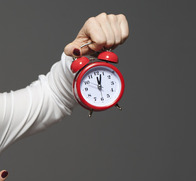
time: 12:03
